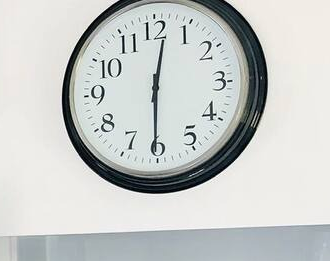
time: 12:30
